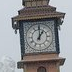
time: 1:00
